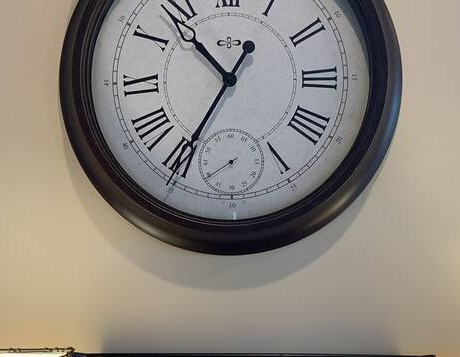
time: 10:35
